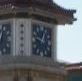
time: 12:47
